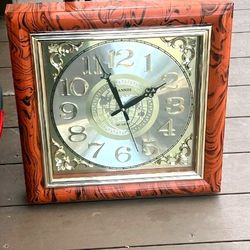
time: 1:56
